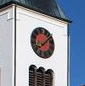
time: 8:07
